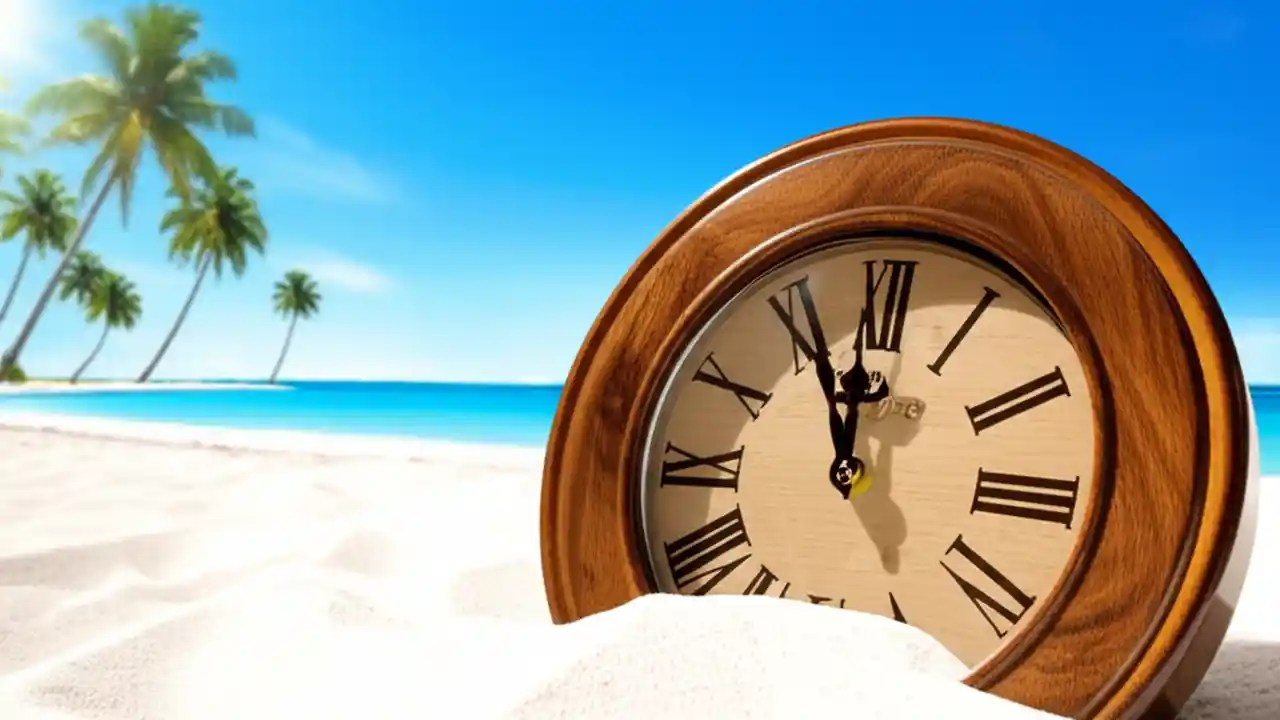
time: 11:55
